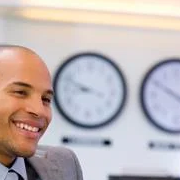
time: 8:49
